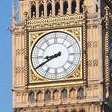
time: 8:40
